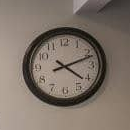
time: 4:11
